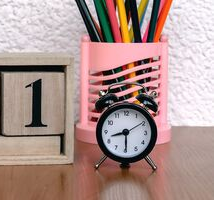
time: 8:29
